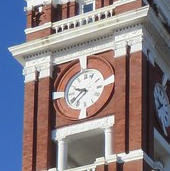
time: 9:38
